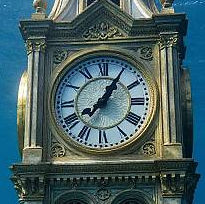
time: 1:05
